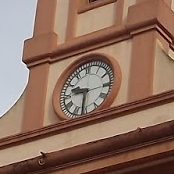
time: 9:31
